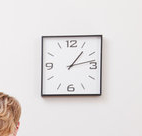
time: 1:13
